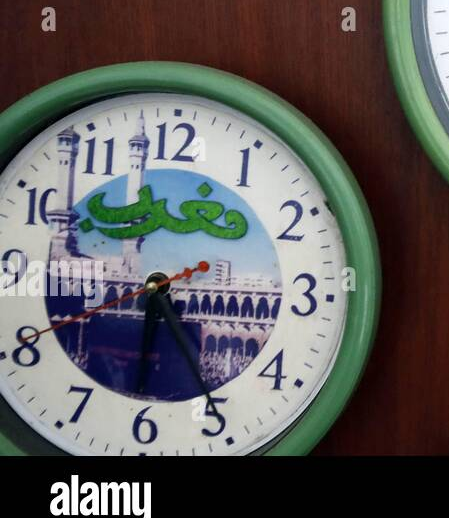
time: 6:25
